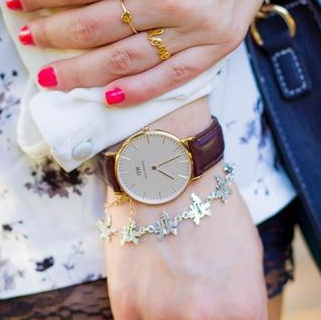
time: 4:11
